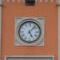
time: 5:06
